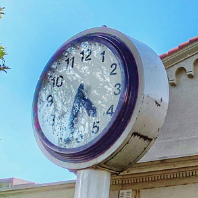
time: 4:31
